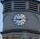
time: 9:12
